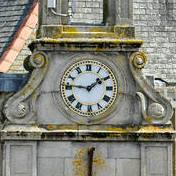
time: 1:46
